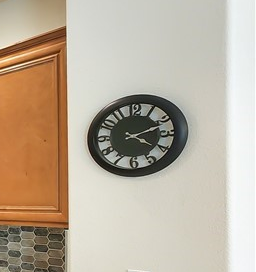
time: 4:11
